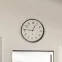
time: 12:46
